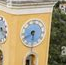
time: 5:40
